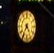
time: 4:35
